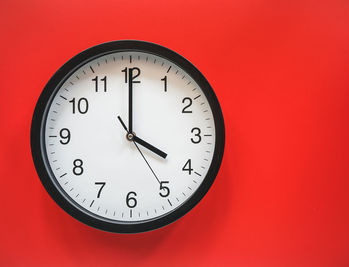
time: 3:59
